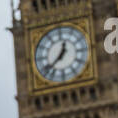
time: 12:37
